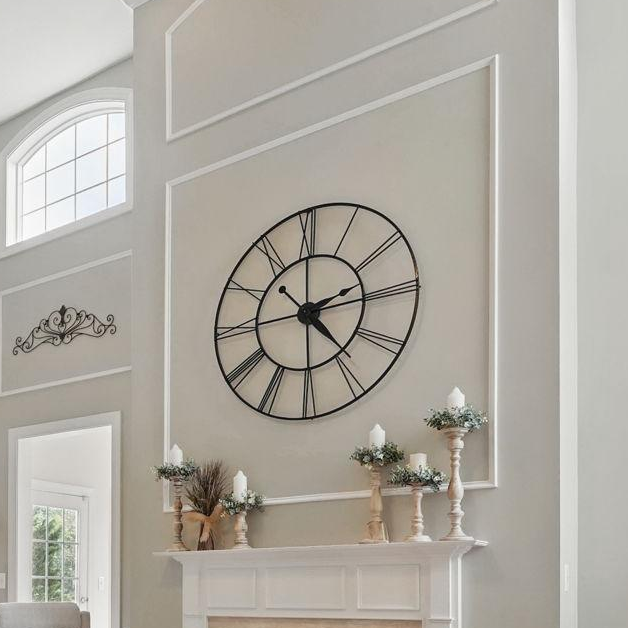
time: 2:23
